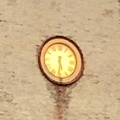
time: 5:30
